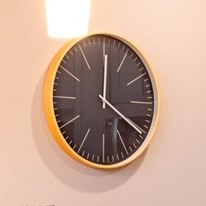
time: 4:00
